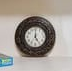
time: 5:00
